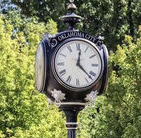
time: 12:22
